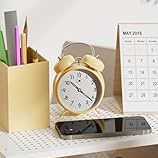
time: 10:21
